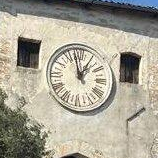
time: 12:58
